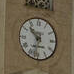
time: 10:32
